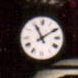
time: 11:09
